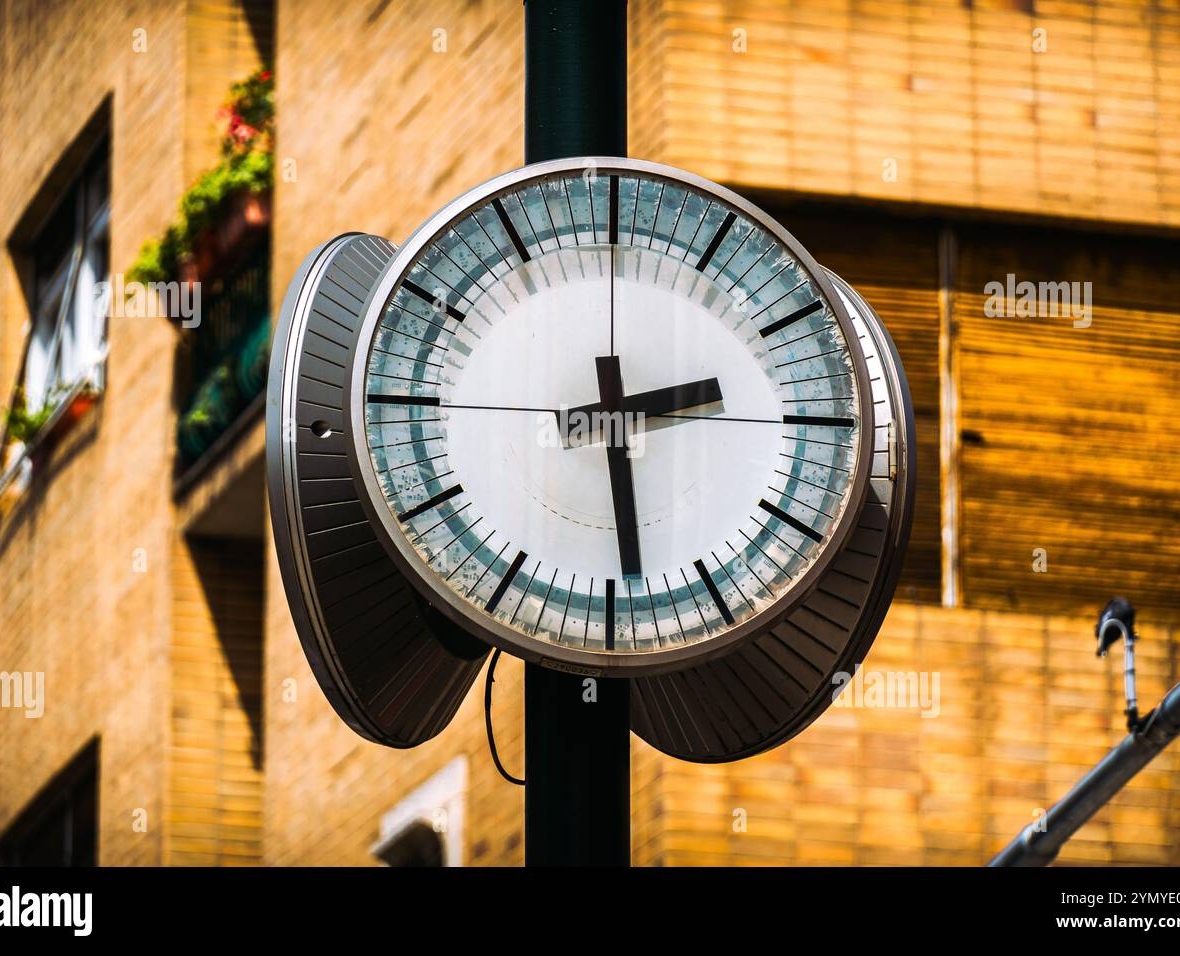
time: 2:28
